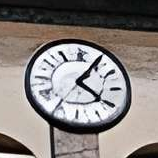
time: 4:04
